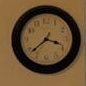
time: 3:38
